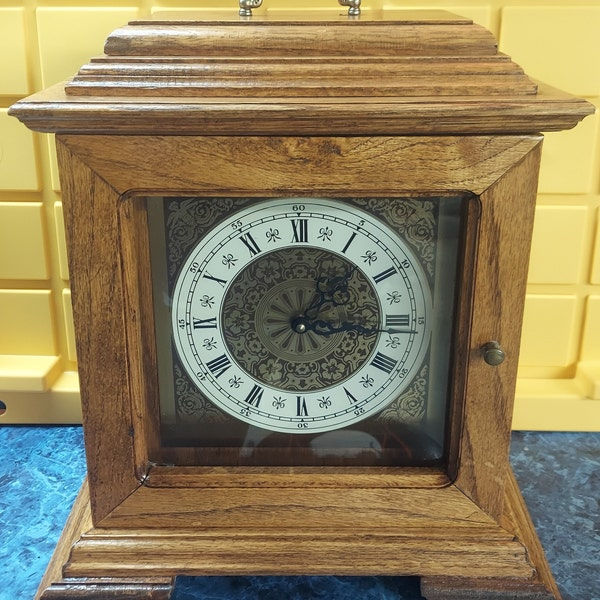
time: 1:16
